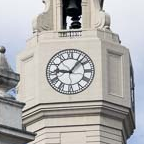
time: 9:07
